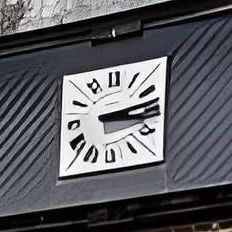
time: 3:13
